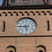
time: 5:45
